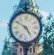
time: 4:50
